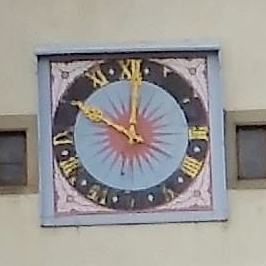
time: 10:00
